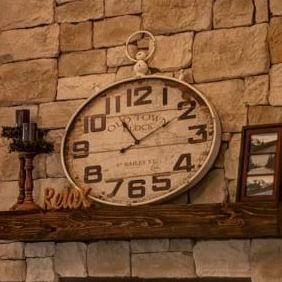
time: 11:09
